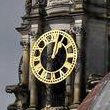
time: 1:02
